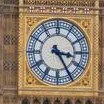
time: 3:24
